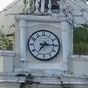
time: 7:15
